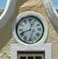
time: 12:41
